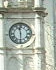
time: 11:29
